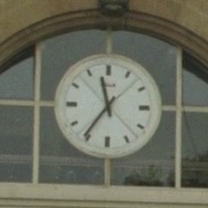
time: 11:35
